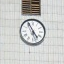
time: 4:55
